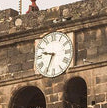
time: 9:34
